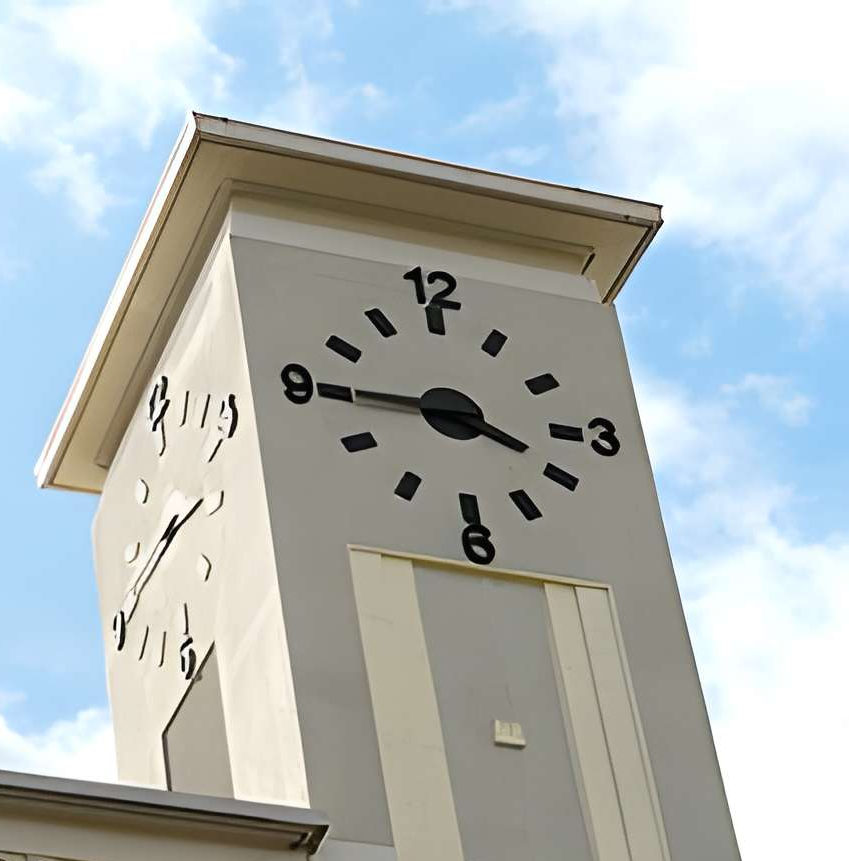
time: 3:45
